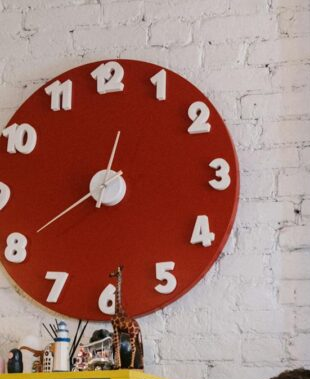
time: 12:40
